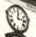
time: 12:13
